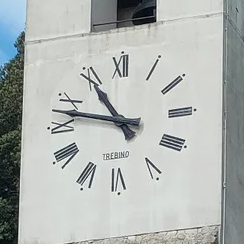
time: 10:47
